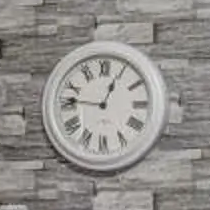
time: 12:46
